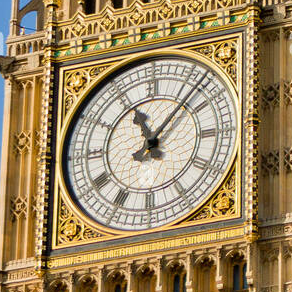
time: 11:07
